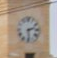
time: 2:29
